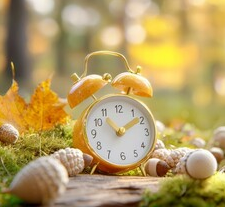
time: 1:53
